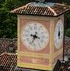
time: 3:33
